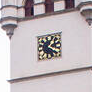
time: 1:20
